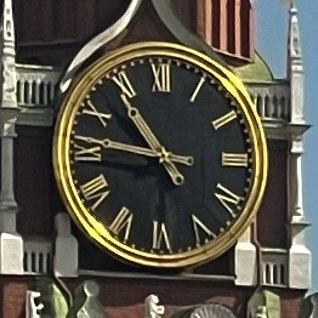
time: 10:46
